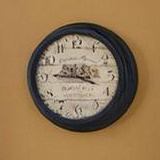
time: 3:45
